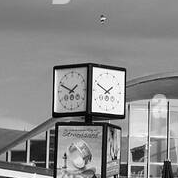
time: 1:49
